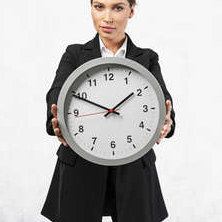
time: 1:49
